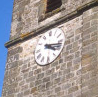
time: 4:17
